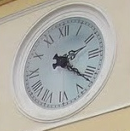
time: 2:21
